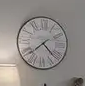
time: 4:38
